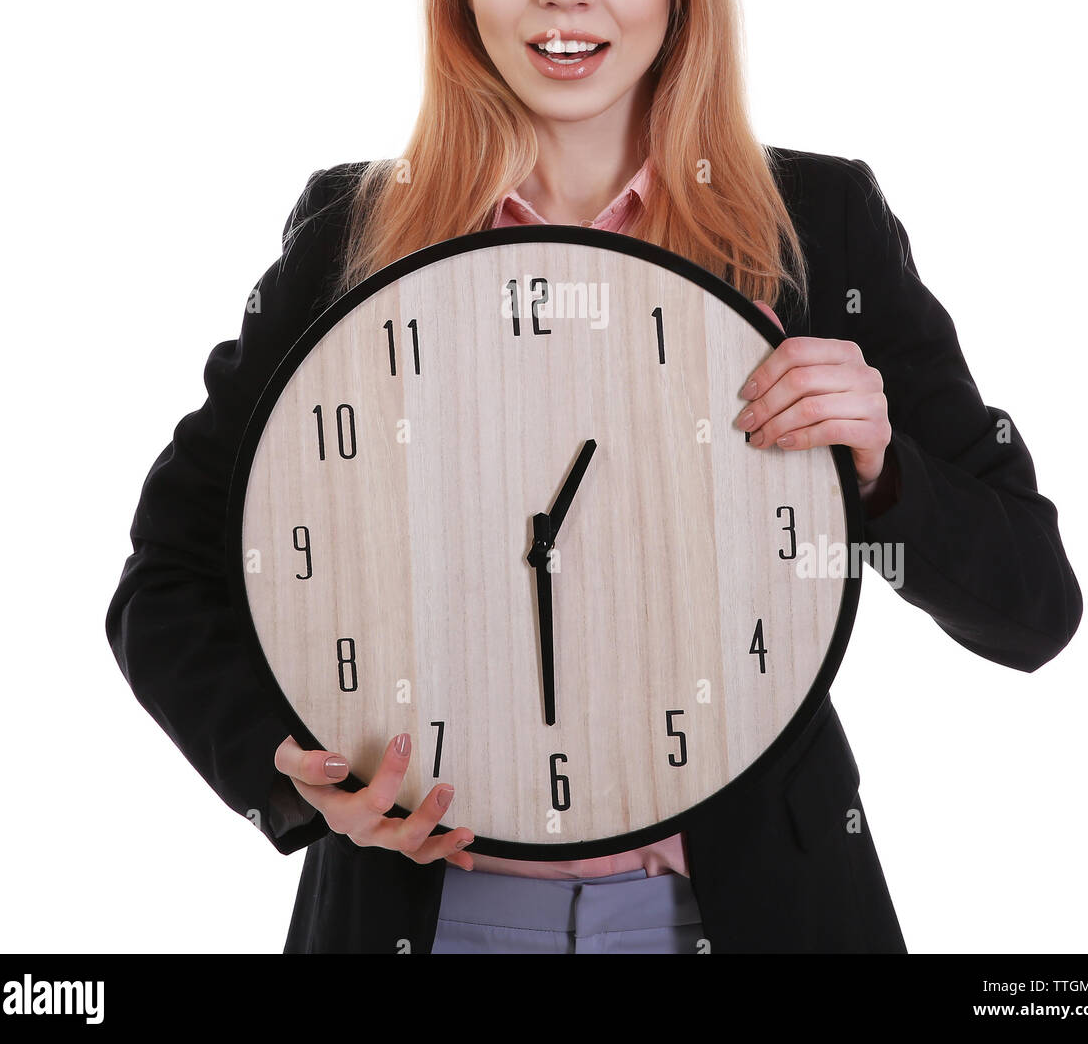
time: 12:29
